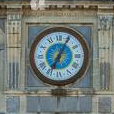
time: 7:04
